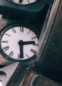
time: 2:29
